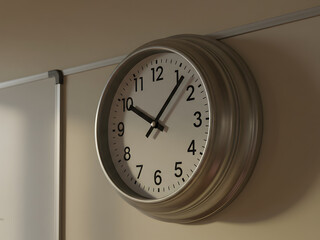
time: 10:06
